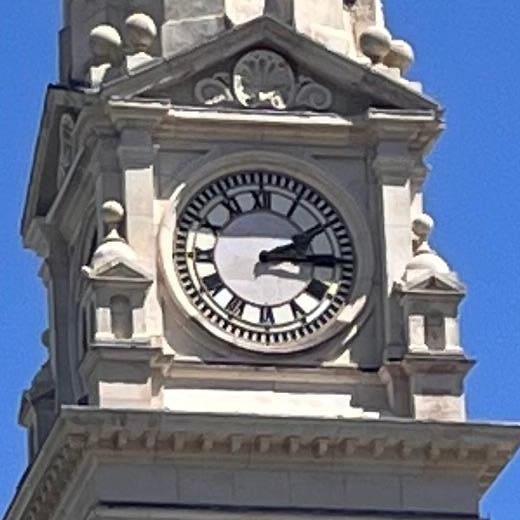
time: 2:15
